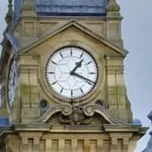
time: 1:18
